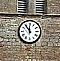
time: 11:53
